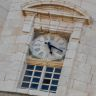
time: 5:18
